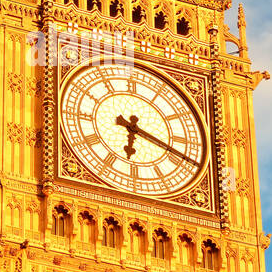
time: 6:18
